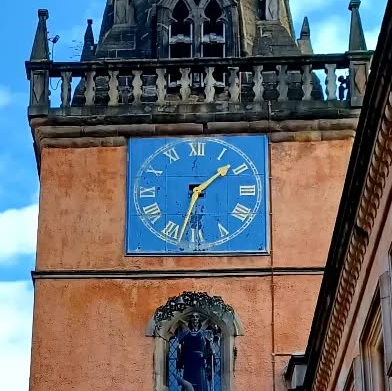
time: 1:32
